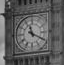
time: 11:19
